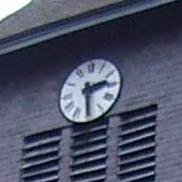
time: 2:29
